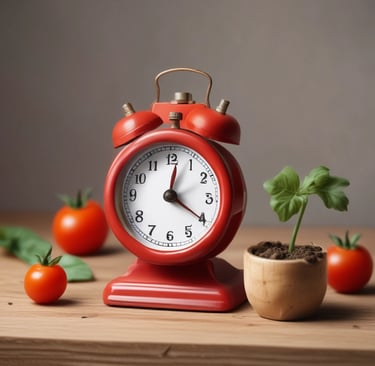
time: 12:20
